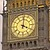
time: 4:01
